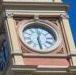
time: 12:28
